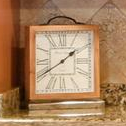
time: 1:40
